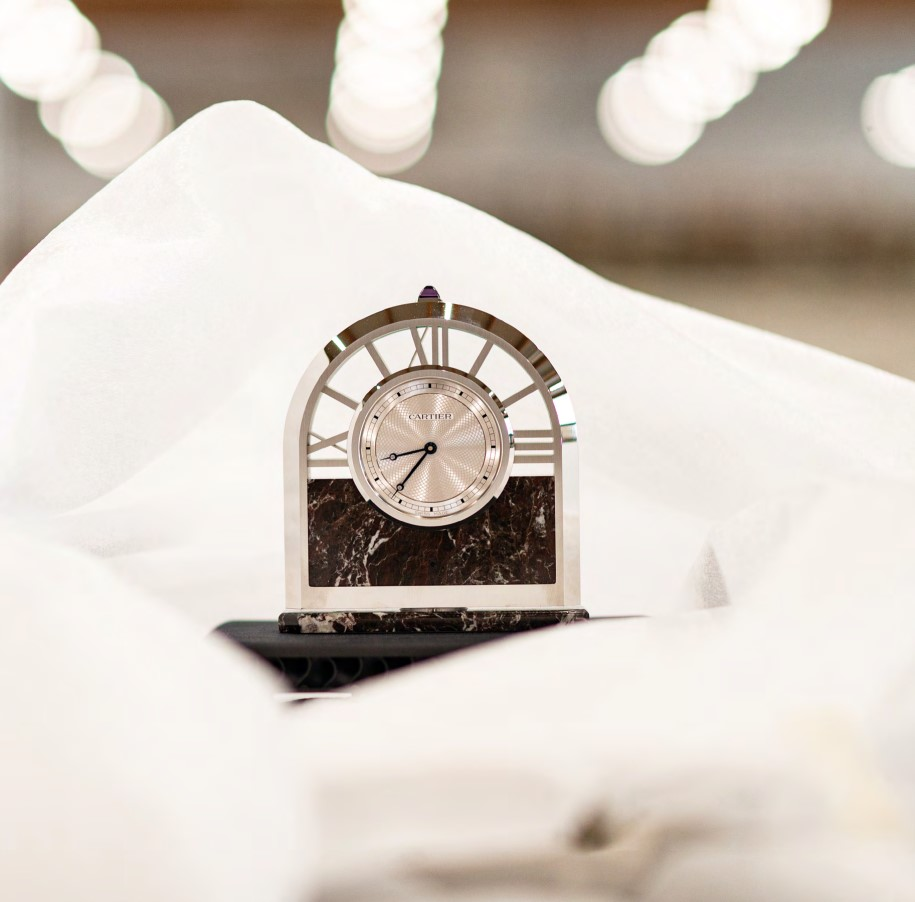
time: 8:36
